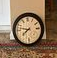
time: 7:46
